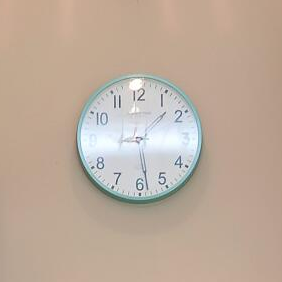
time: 1:28
